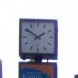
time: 1:50
